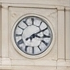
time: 3:09
